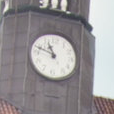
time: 10:48
